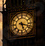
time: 5:17
